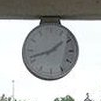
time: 1:42
